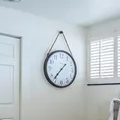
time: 1:36
